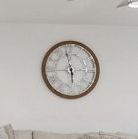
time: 5:57
